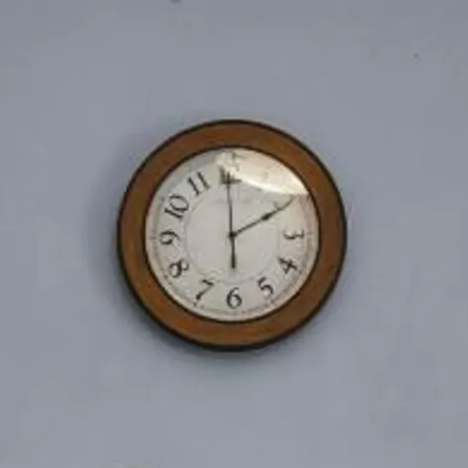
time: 1:59
